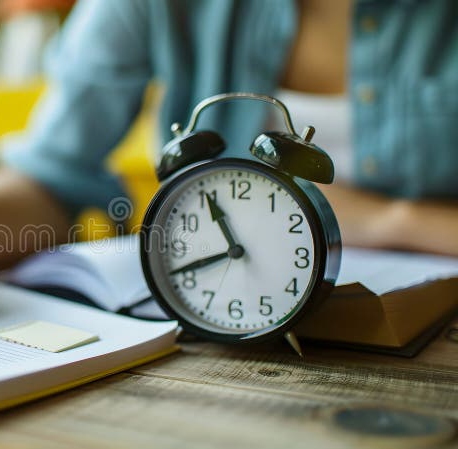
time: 10:41
